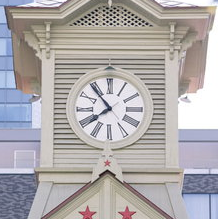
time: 7:53
